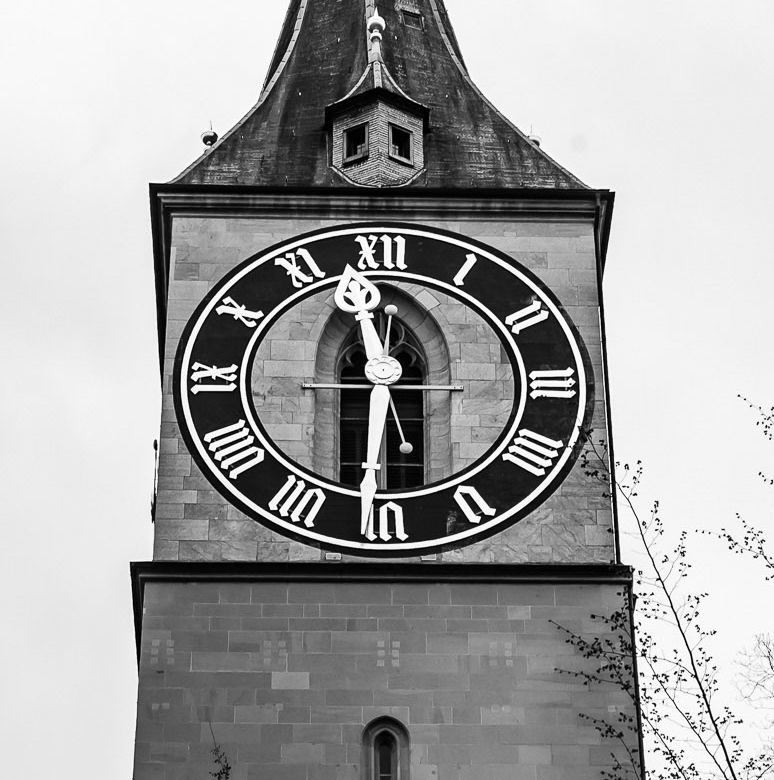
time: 11:30
